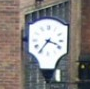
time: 3:36
